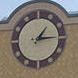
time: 1:14
